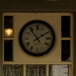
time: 1:53
